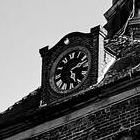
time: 5:12
